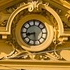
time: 8:29
